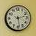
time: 2:28
